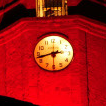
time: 2:42
